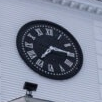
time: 7:15
